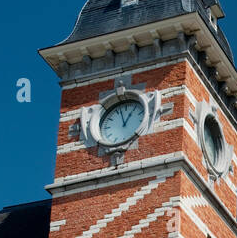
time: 12:57
